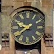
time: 9:38
